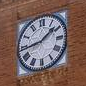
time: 1:43
